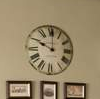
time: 10:00
